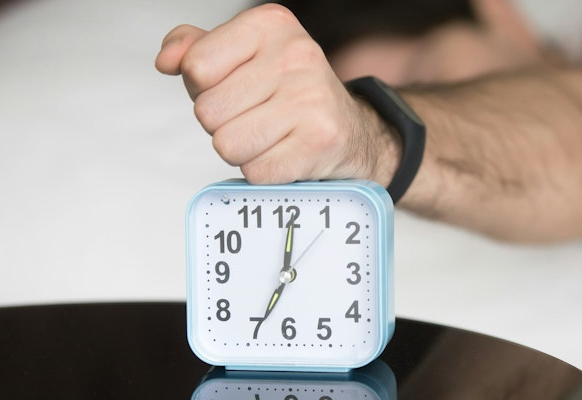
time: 7:00
